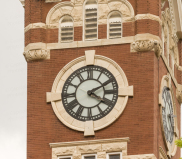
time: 4:10
